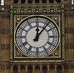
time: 12:06
